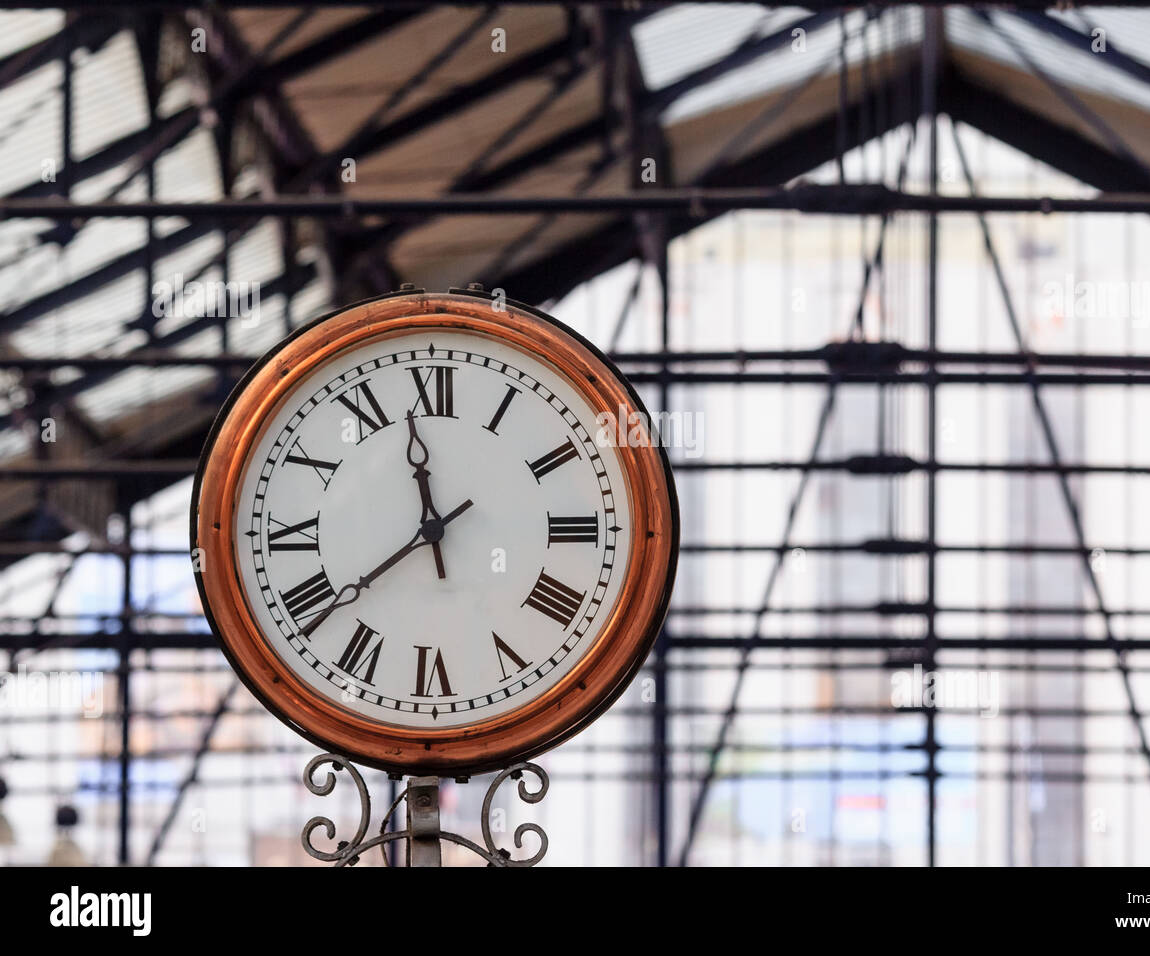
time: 11:38
